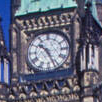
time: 10:26
